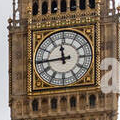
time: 11:44
